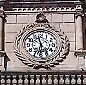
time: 5:57
